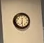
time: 6:29
